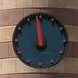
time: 11:59
